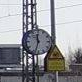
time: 11:32
